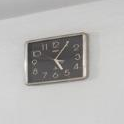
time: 5:05
